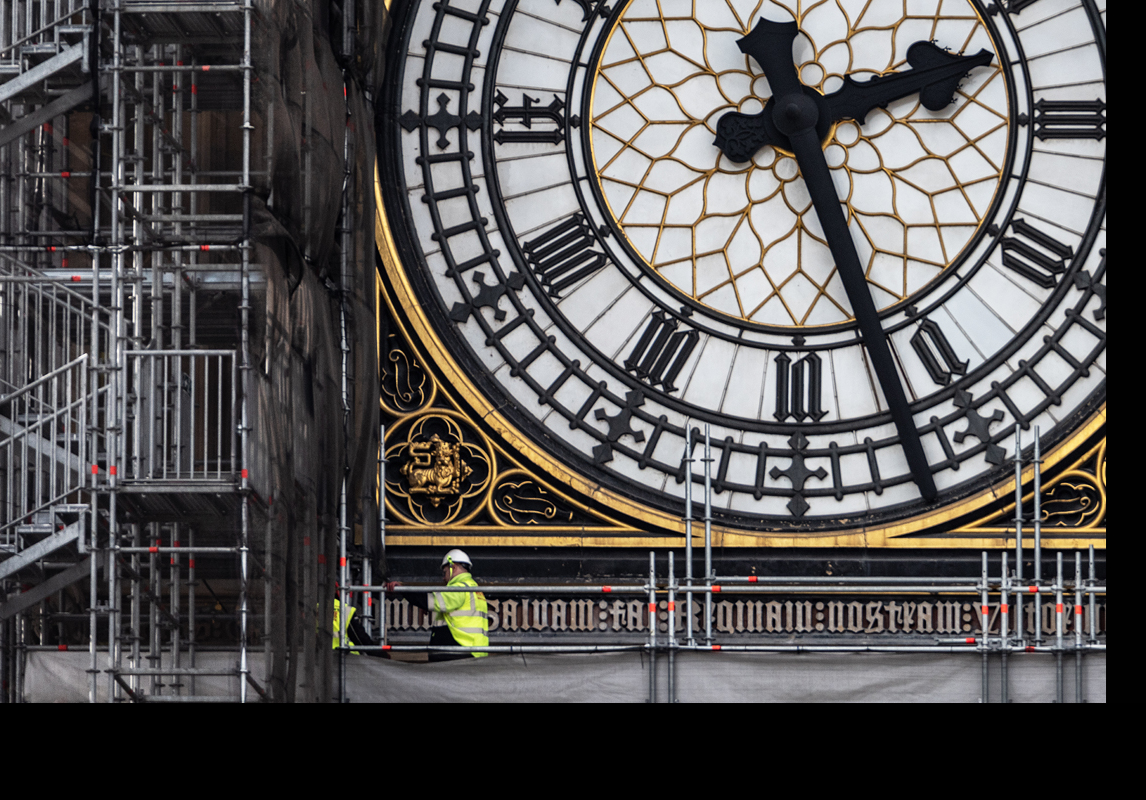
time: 2:26
